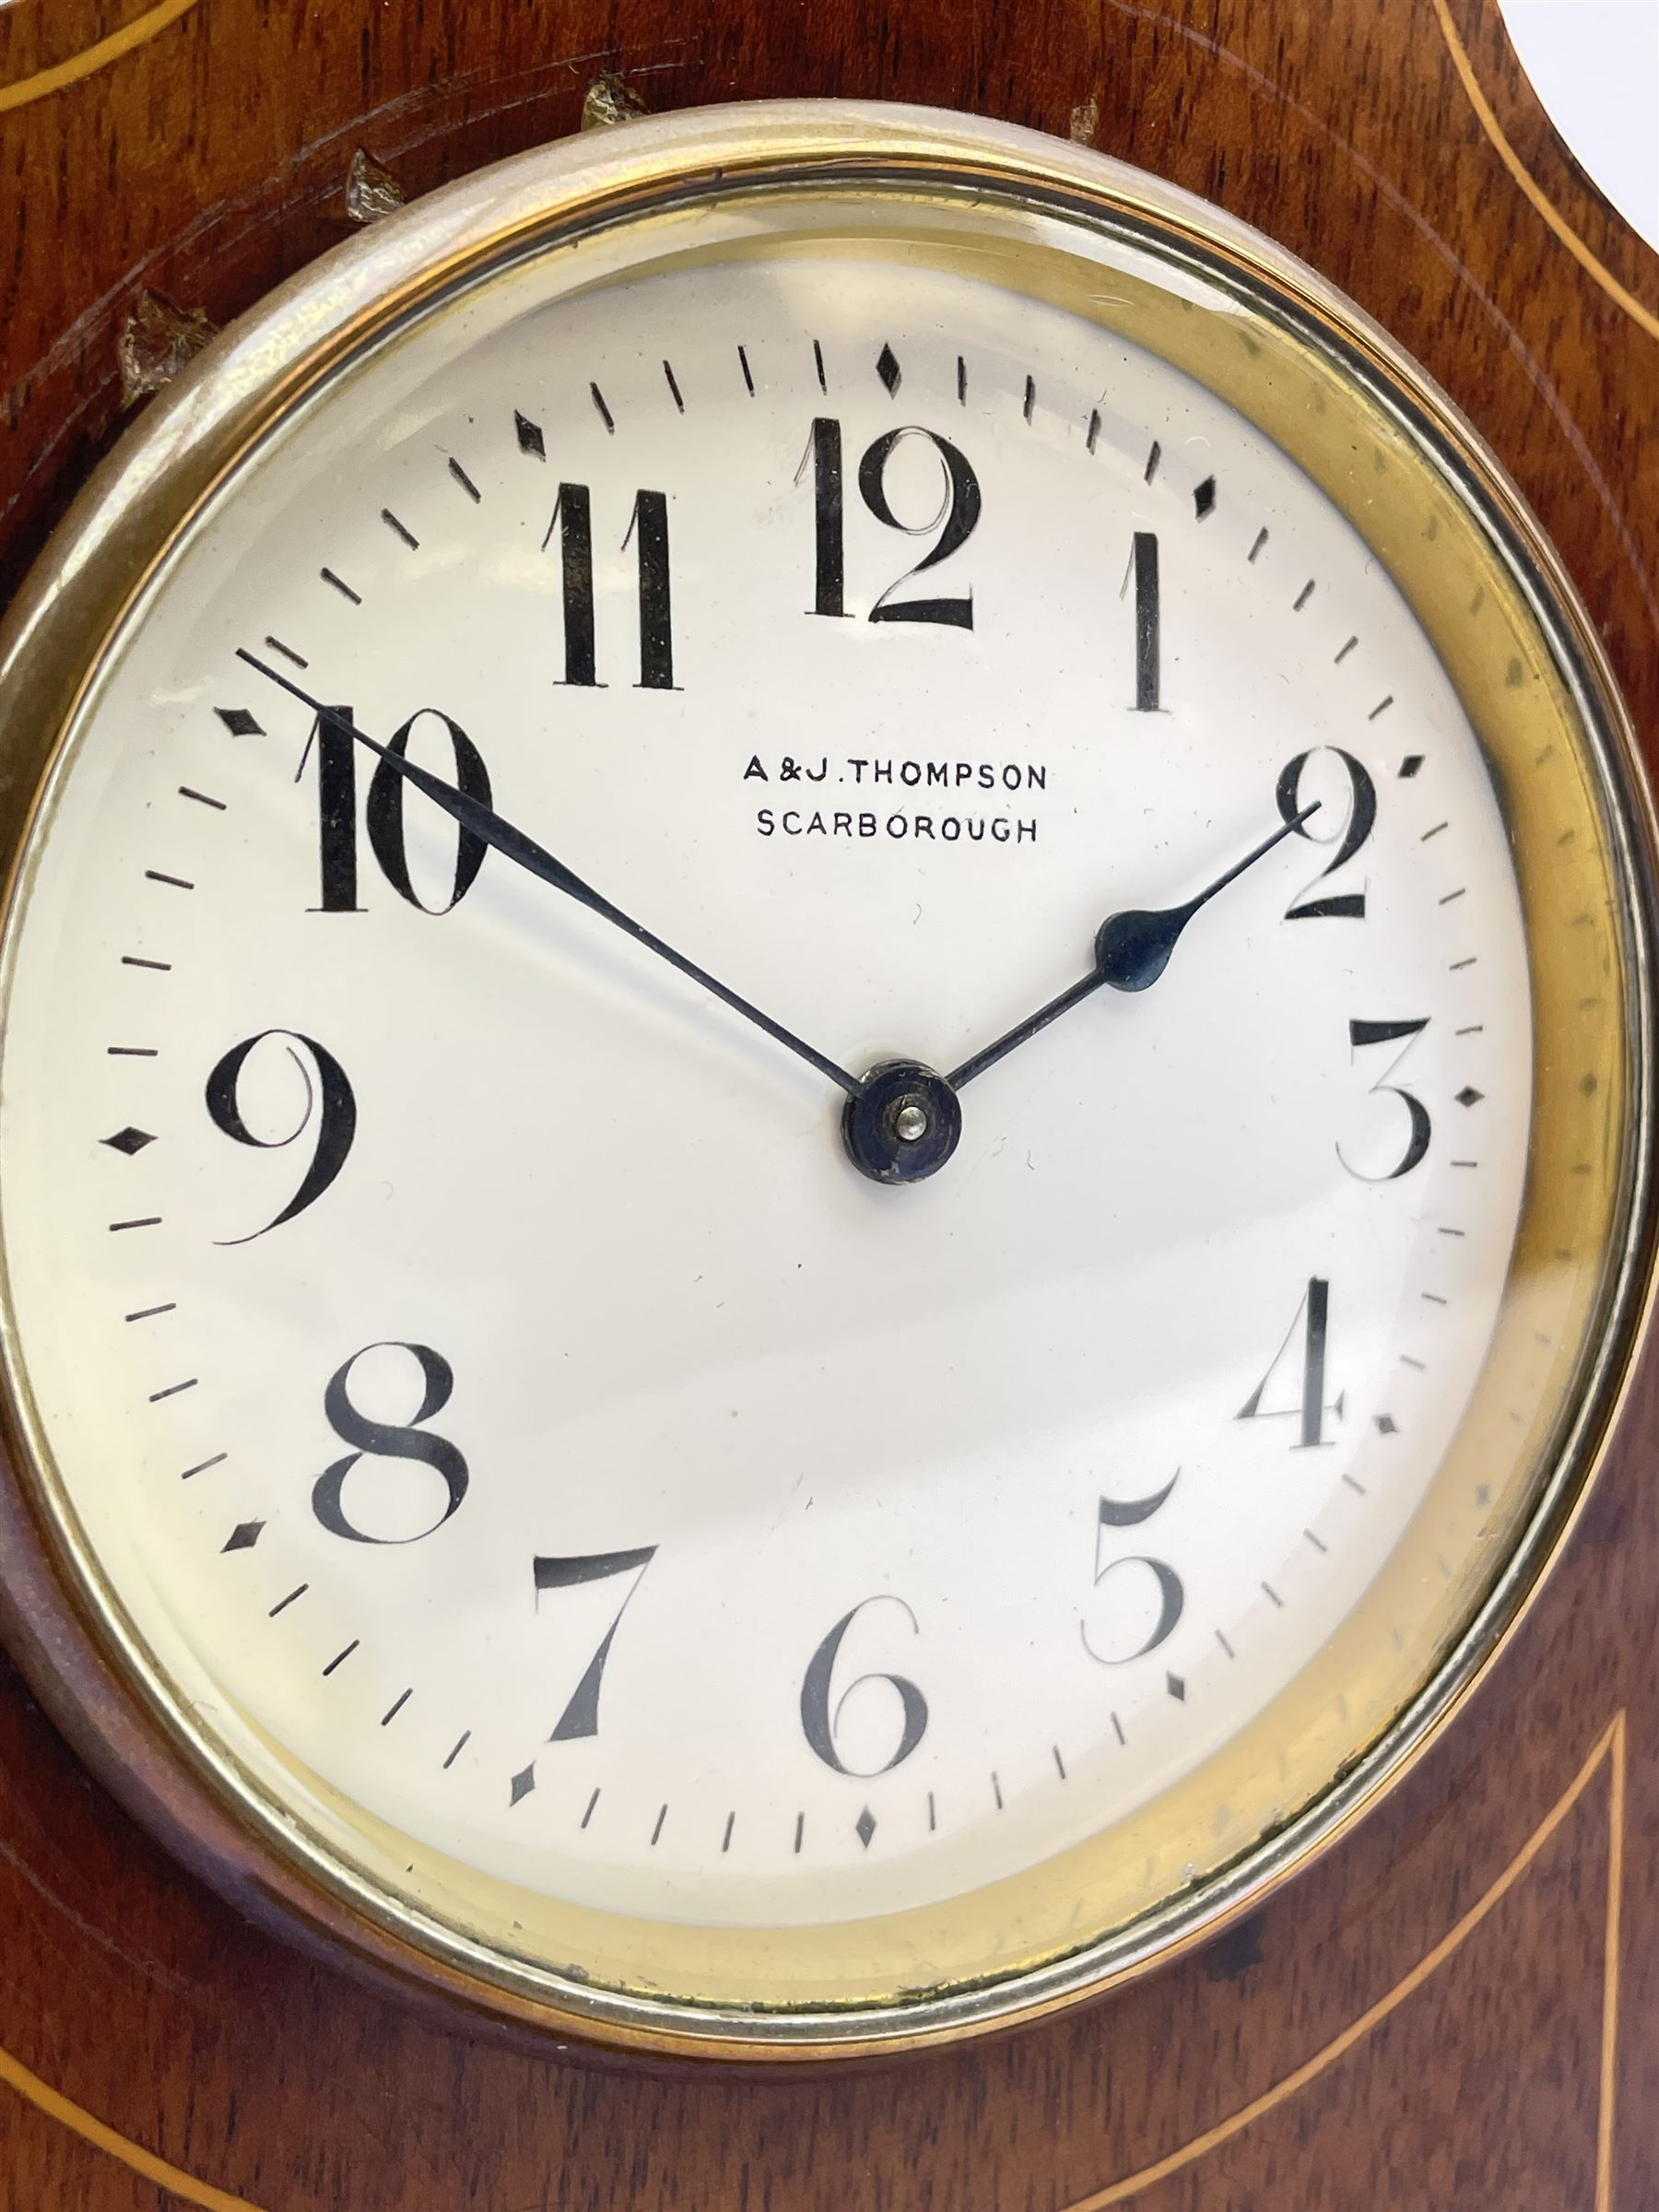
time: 1:50
